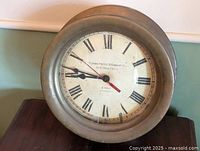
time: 8:46
